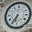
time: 6:35
